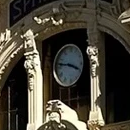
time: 3:46
